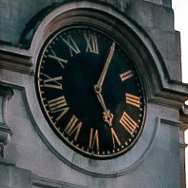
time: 5:04
